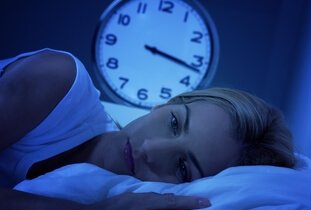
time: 3:17
